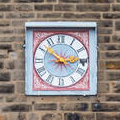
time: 2:52
